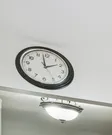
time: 1:58
